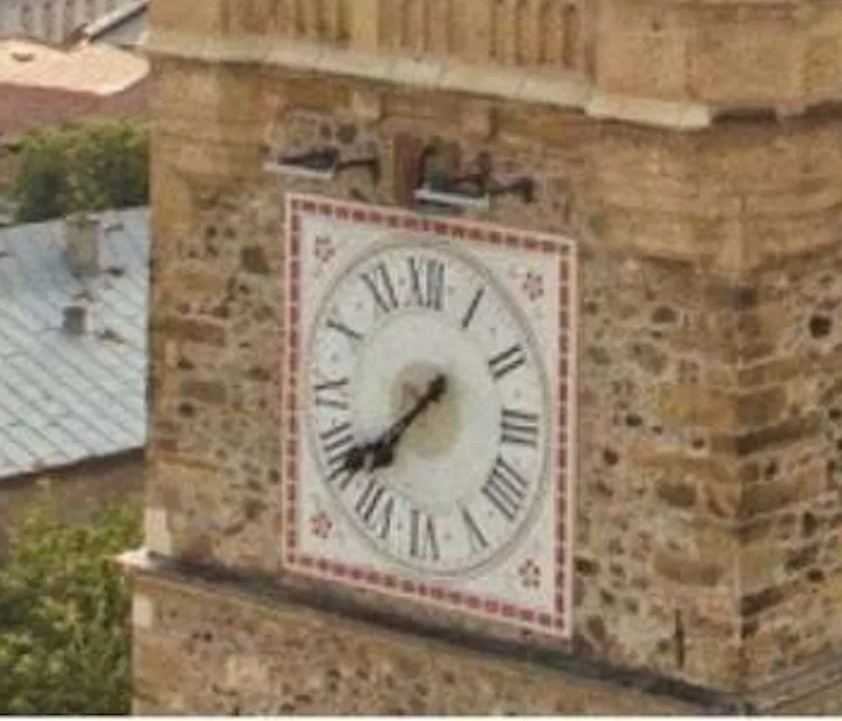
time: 7:37
